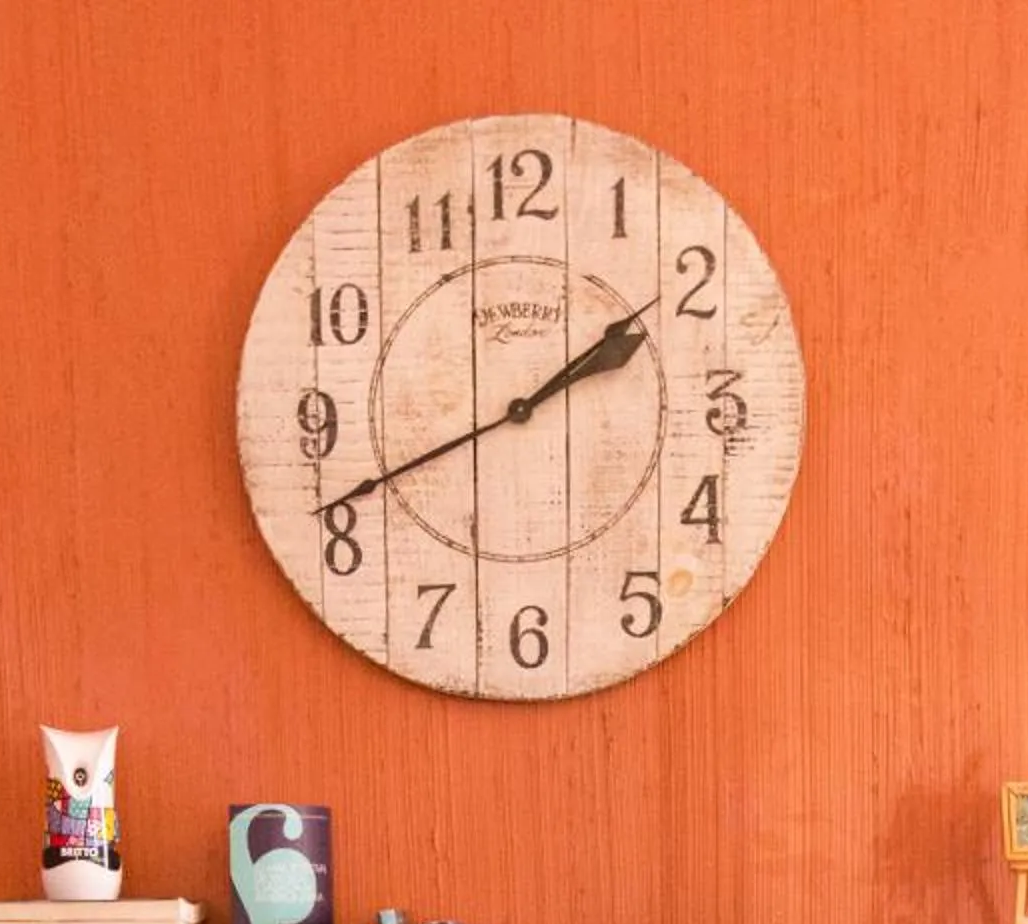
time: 1:41
